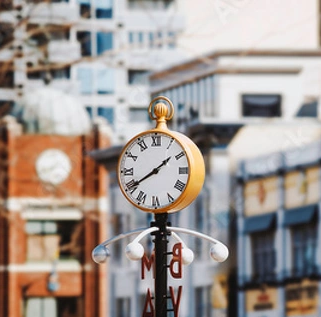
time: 1:39
